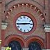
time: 2:44
